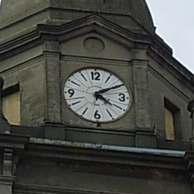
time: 4:09
